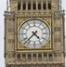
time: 4:37
